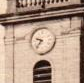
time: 9:36
